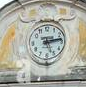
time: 5:13
